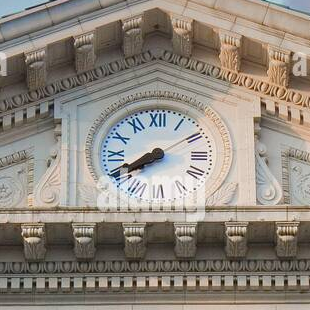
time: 7:40
